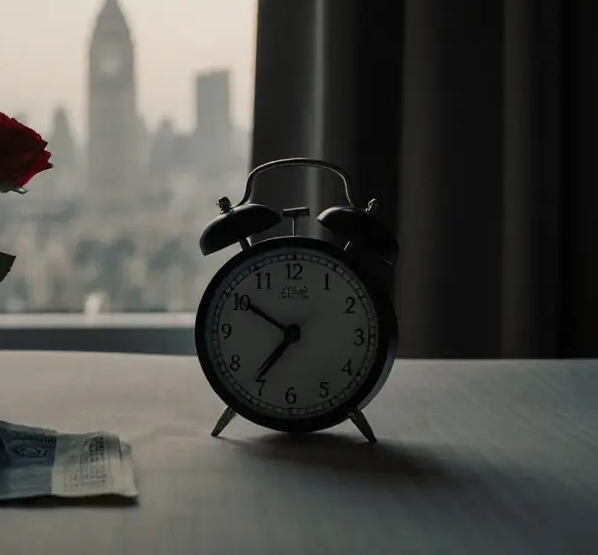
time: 6:50
